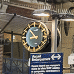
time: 8:53
